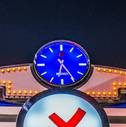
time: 6:24
